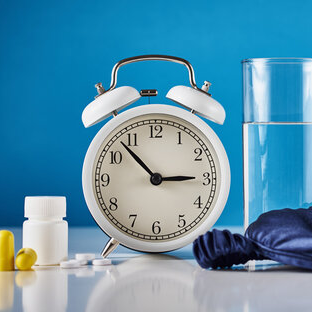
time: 2:53
